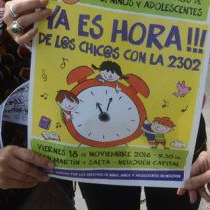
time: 11:02
